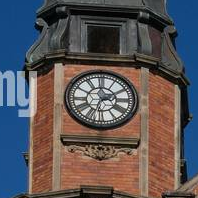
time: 2:33
